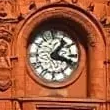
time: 1:18
